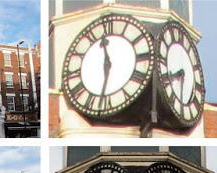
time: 11:32
